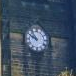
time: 9:53
